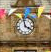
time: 3:58
